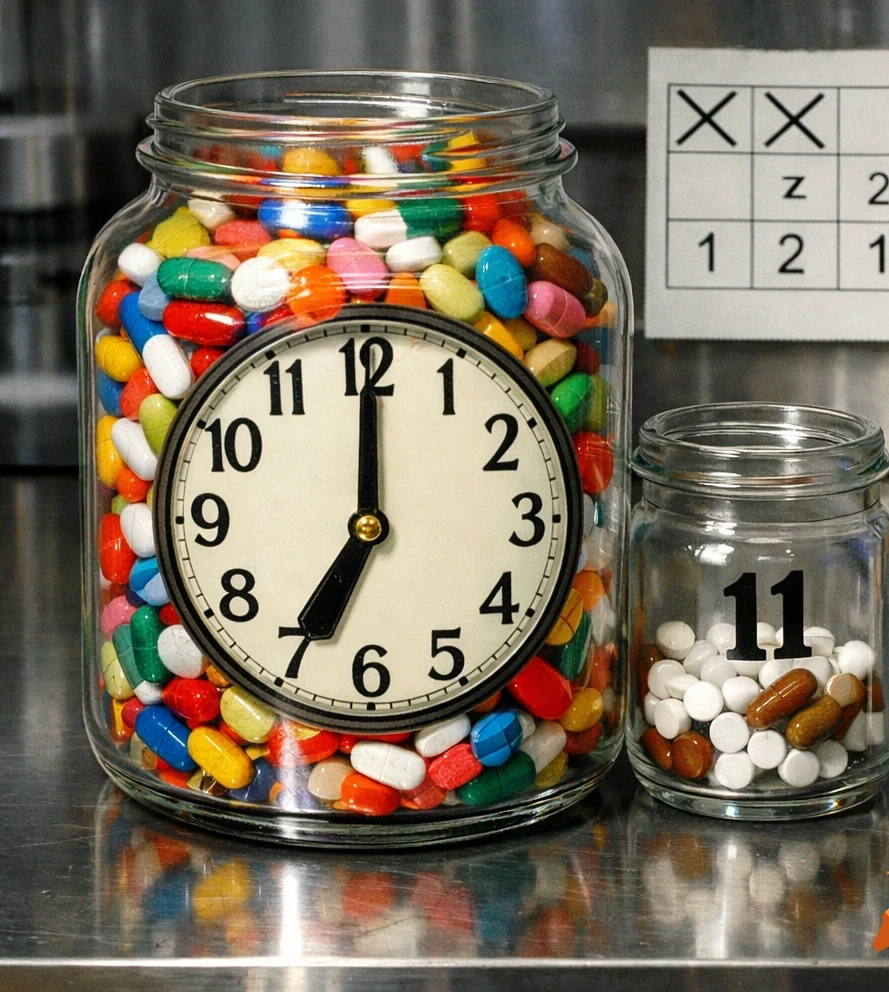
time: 7:00
